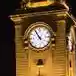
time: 10:55
